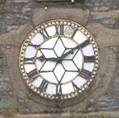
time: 9:09
